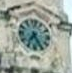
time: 7:25
